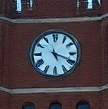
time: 5:18
